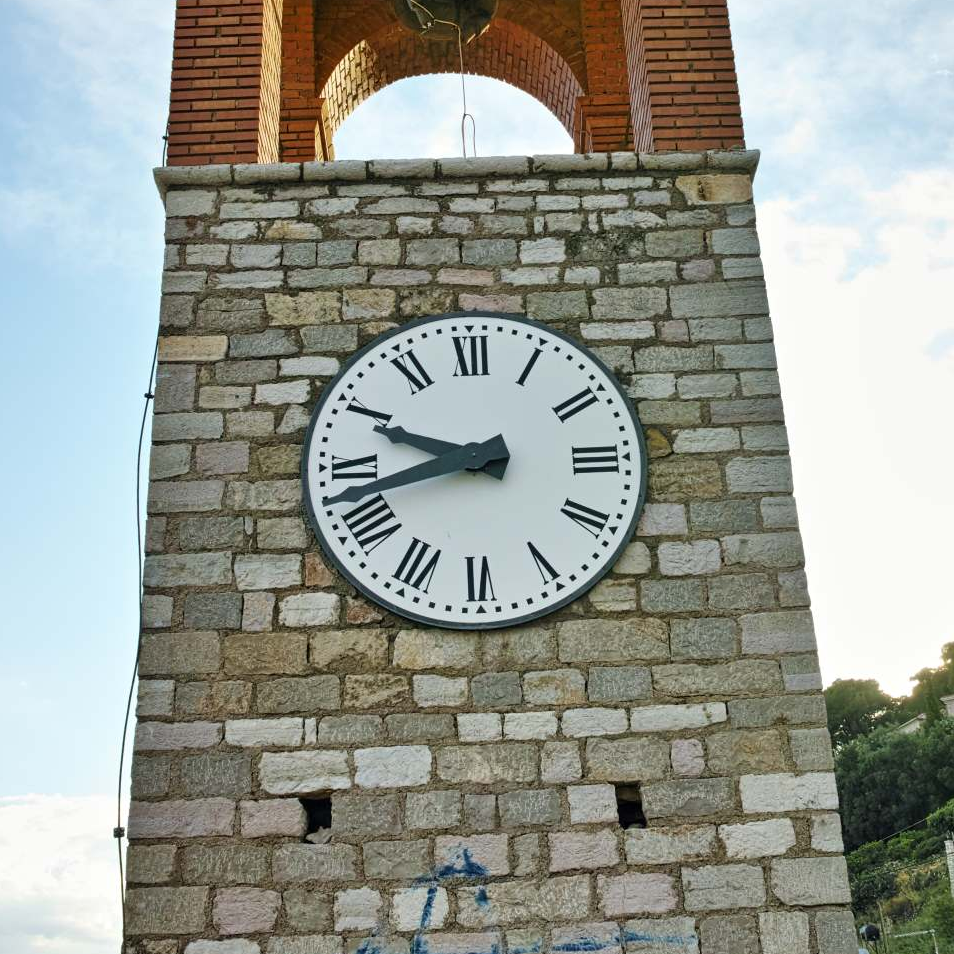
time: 9:42
